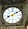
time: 8:09
